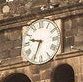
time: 9:34
